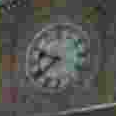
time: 9:39
